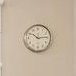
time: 10:13
